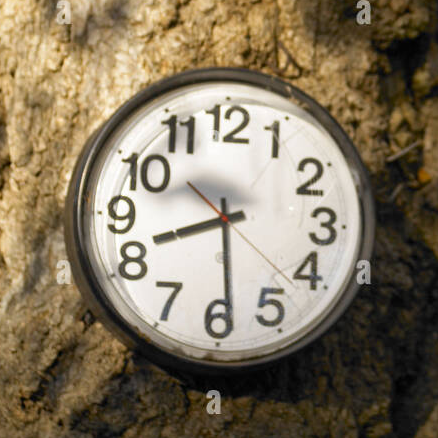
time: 8:29
